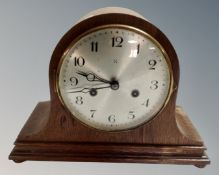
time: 8:47
